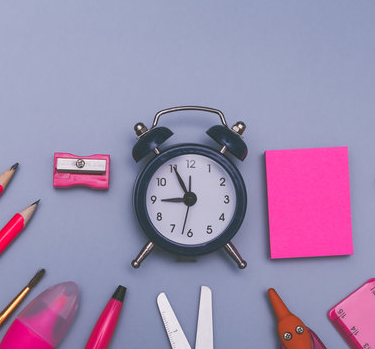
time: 8:55
